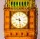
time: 9:28
